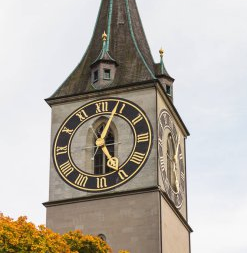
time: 5:03
